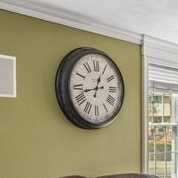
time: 12:42
